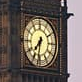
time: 7:32
